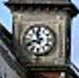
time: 11:41
